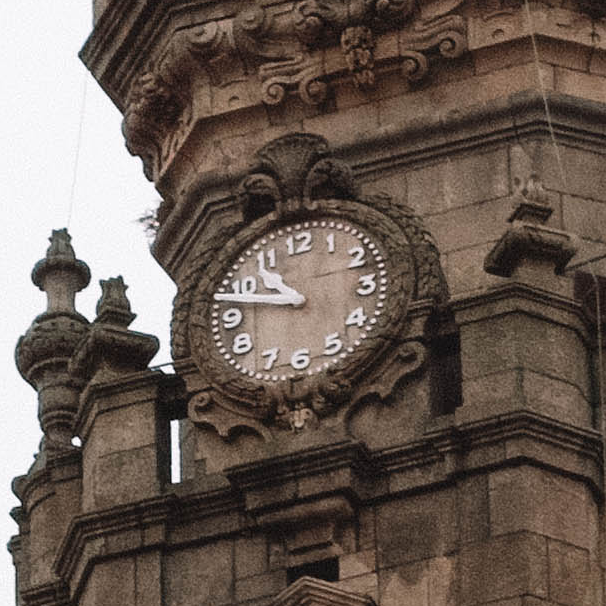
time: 10:47
